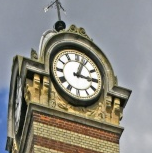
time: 3:03
